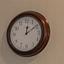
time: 12:09
